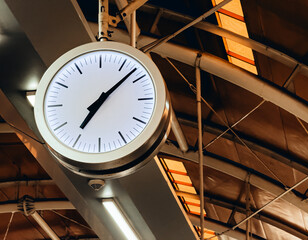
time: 7:08
